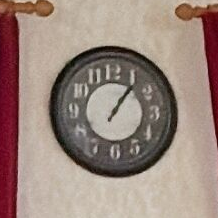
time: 1:06
